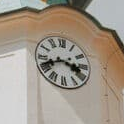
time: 3:41
